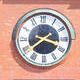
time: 3:39
